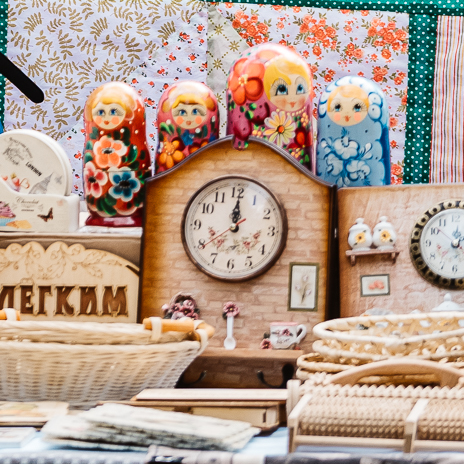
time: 12:00
